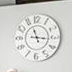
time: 11:16
